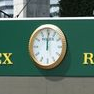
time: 12:00
